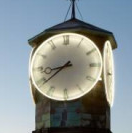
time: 8:38
